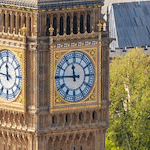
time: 11:45
